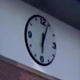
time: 6:03
